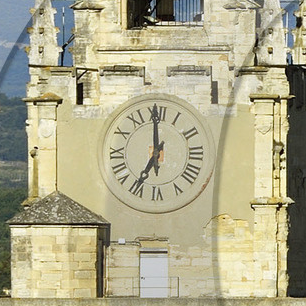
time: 6:59
